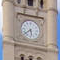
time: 5:38
